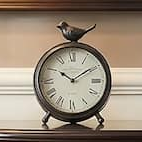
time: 10:09
